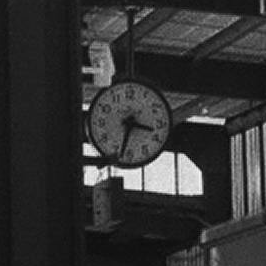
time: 3:33
